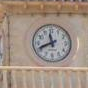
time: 11:41
